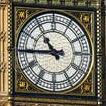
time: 10:44
